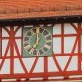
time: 7:00
